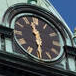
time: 11:29
